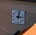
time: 3:02
